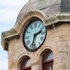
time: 2:33
